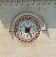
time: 7:24
